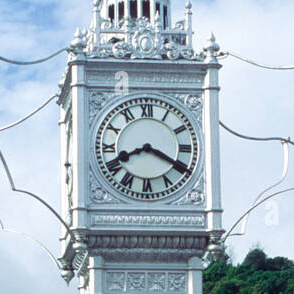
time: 8:19
